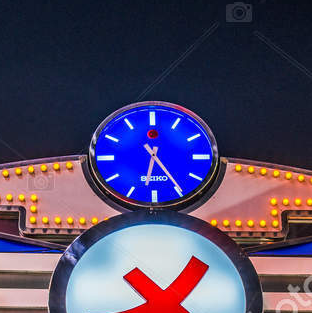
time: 6:24
